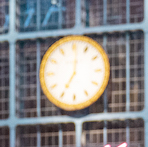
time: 7:01
